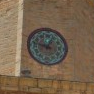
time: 12:48
